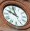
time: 9:57
